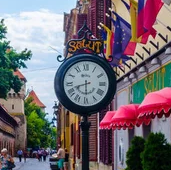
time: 5:41
